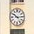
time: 10:14
